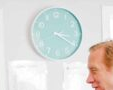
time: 3:20
